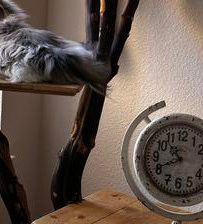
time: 10:41
